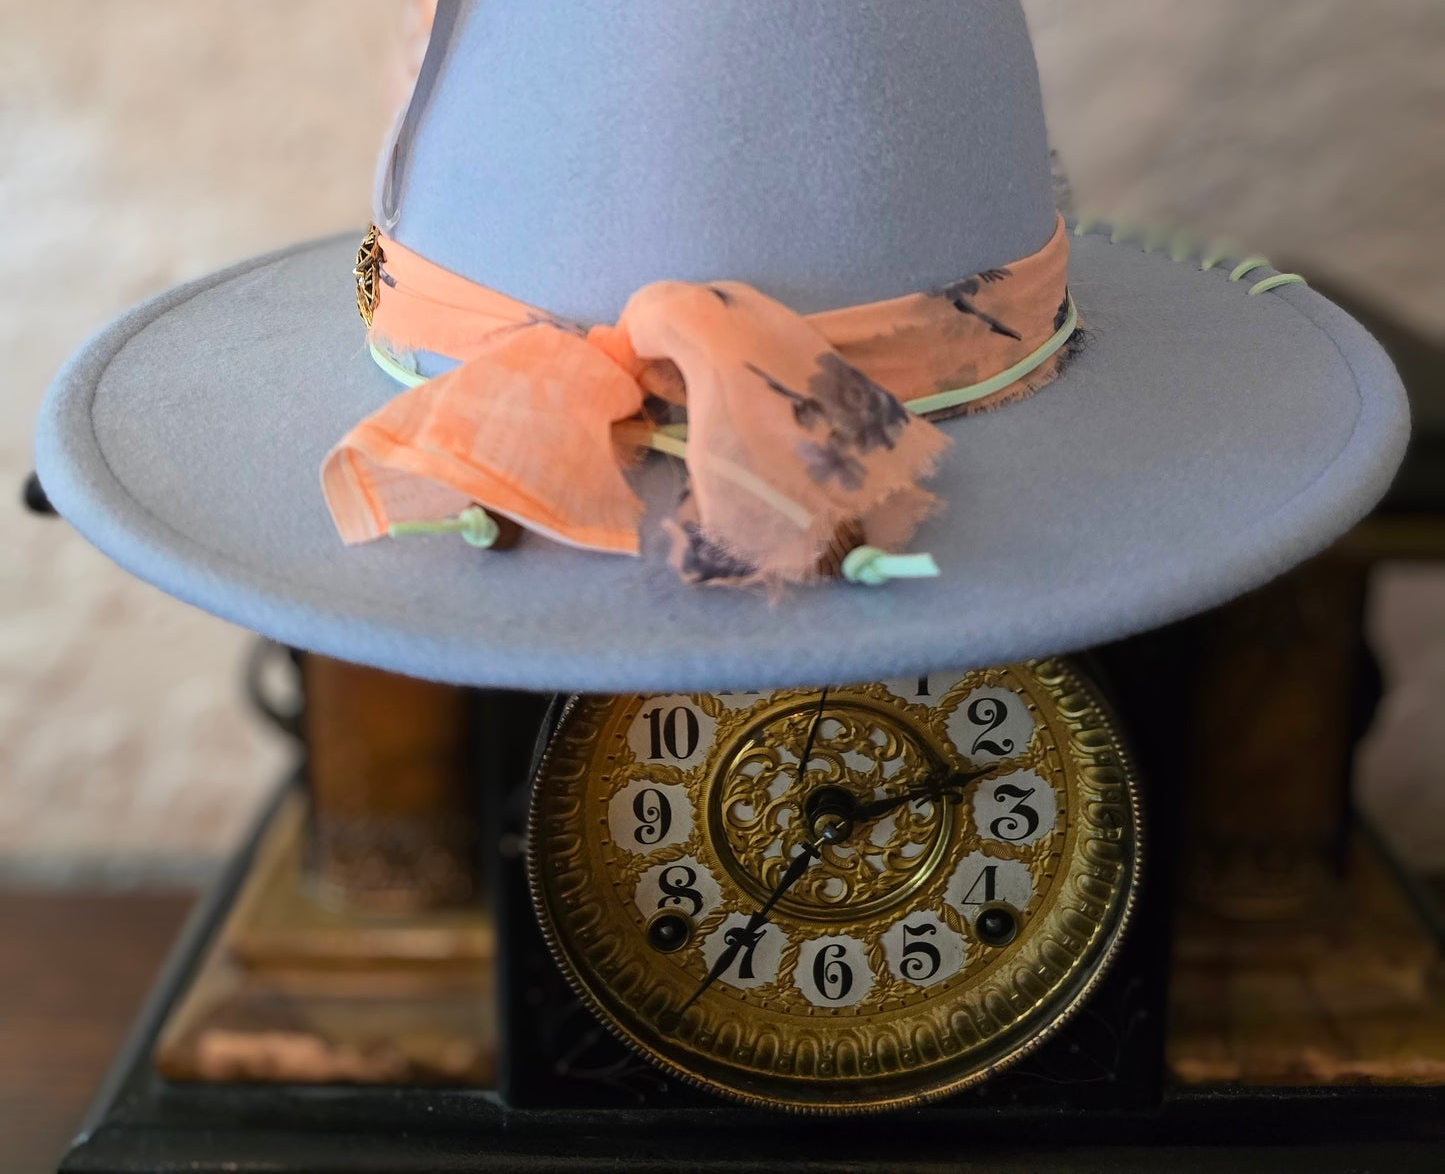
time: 2:35
